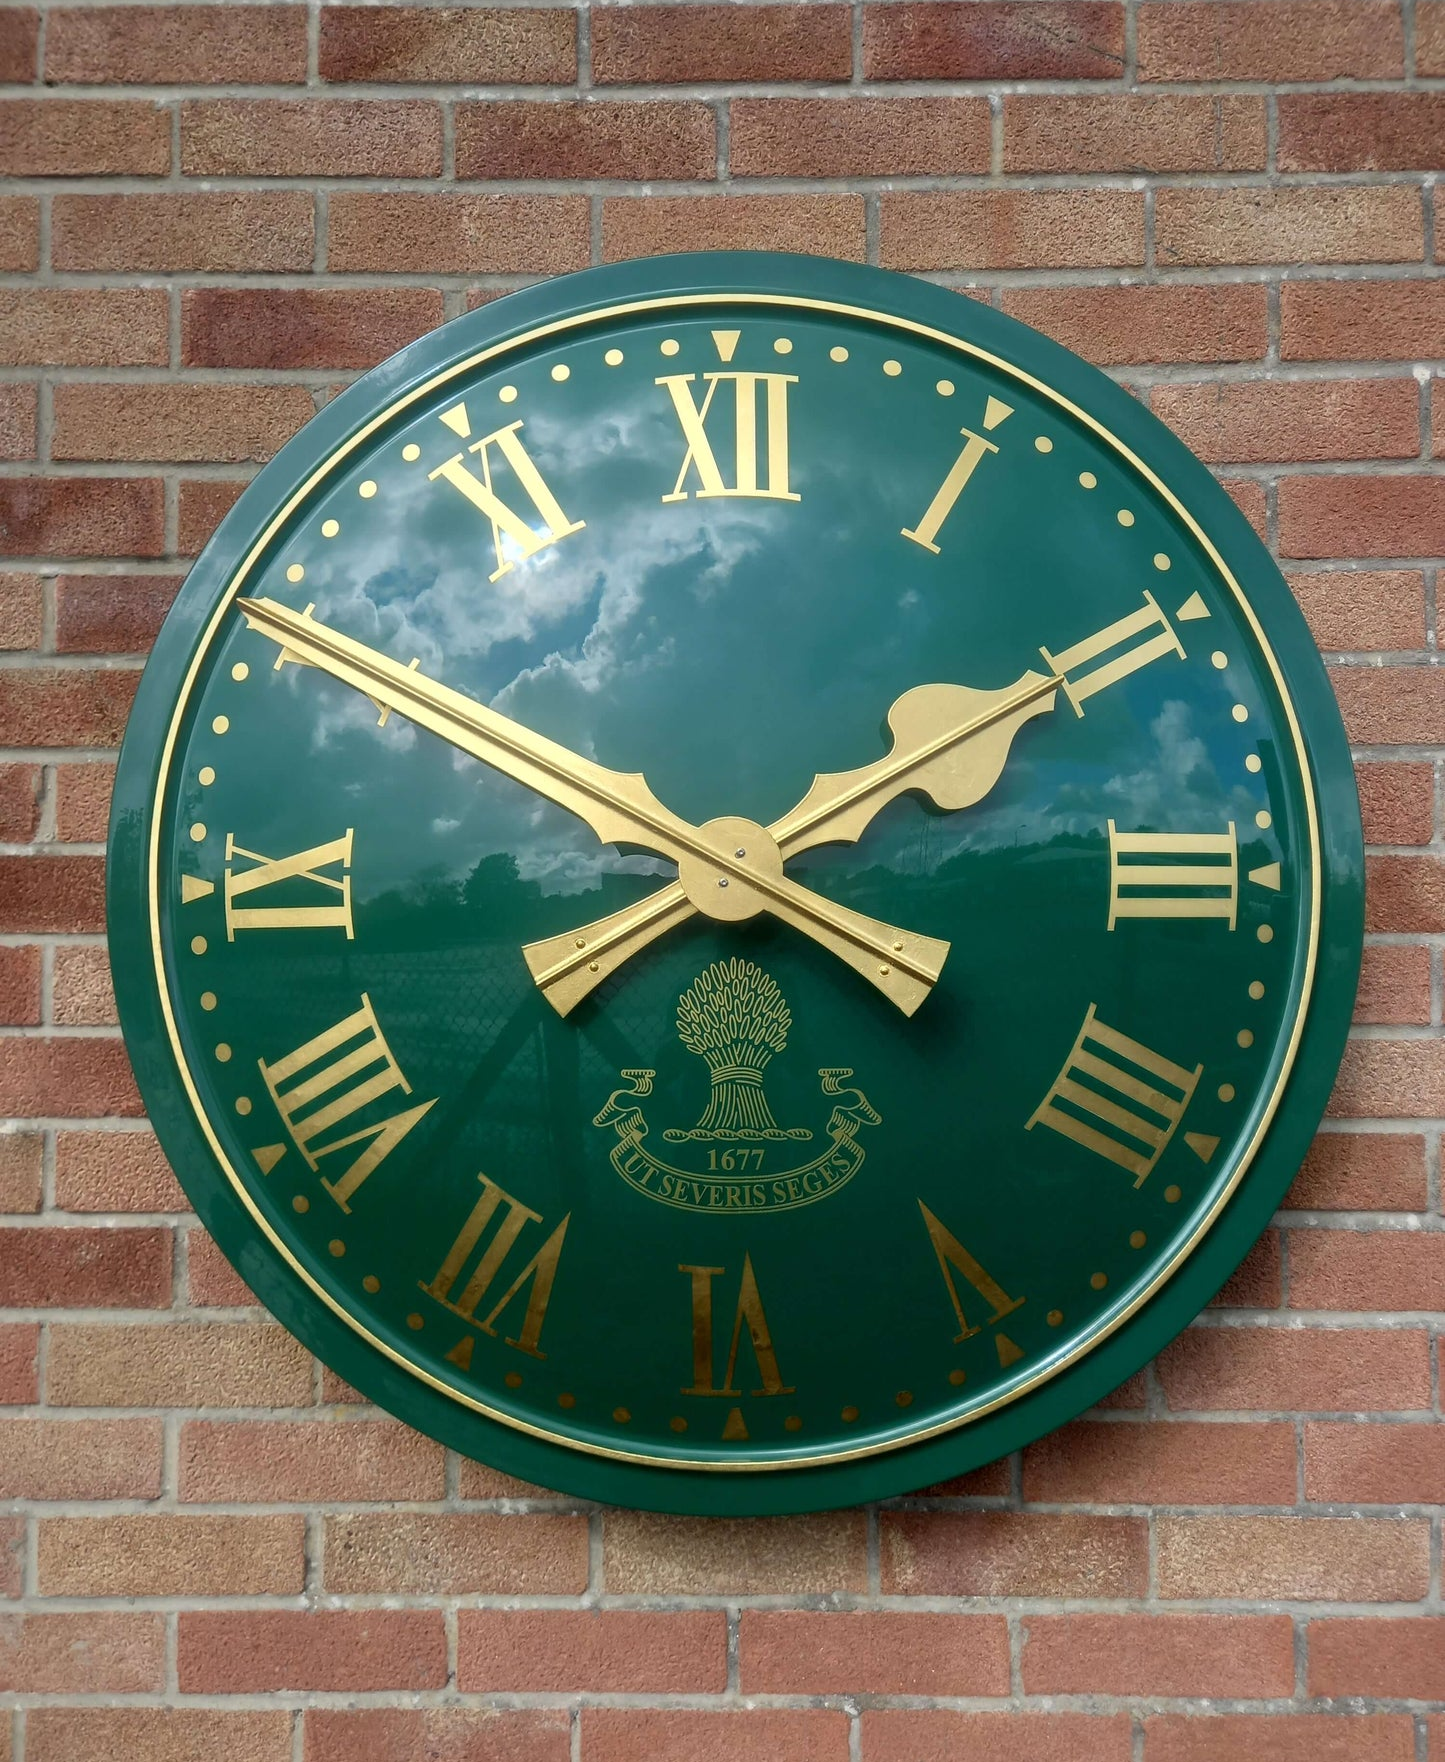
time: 1:50
